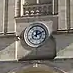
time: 12:10
